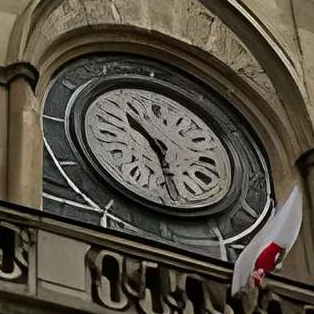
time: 10:28
